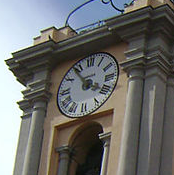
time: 3:53
